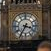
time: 3:35
